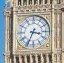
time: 3:34
